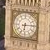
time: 6:14
